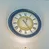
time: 12:24
